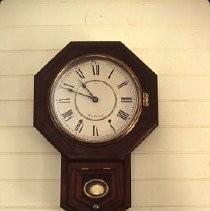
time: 10:48
